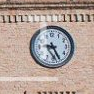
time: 9:25
